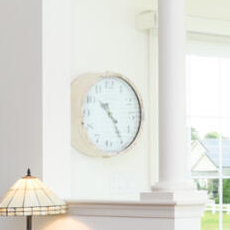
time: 10:24
